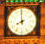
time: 7:59
